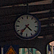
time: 4:36
